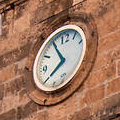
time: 7:54
